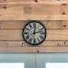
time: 12:12
